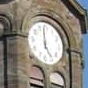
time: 4:59
